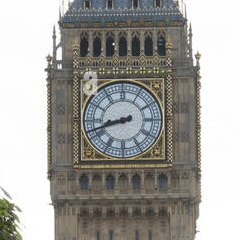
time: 8:41
